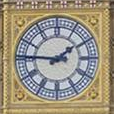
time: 1:46
